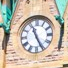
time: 11:25
